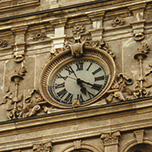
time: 5:20
